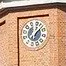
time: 12:07
